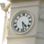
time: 4:27
